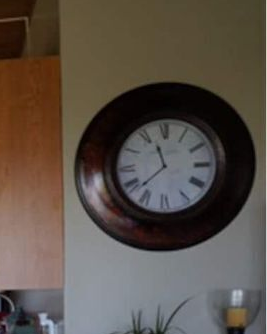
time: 11:37
